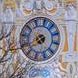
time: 7:40
